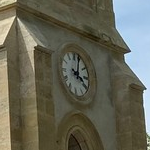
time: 4:02
